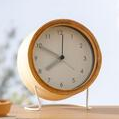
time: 7:49
